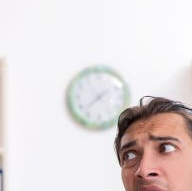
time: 7:37
